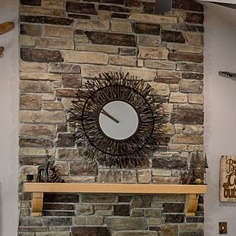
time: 9:50
